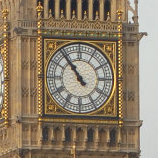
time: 10:53
